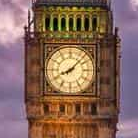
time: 8:07
